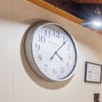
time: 4:06
